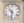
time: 10:32
